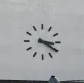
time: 3:20
